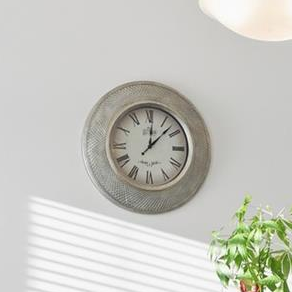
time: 12:07
